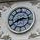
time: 8:14
